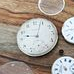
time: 9:03
